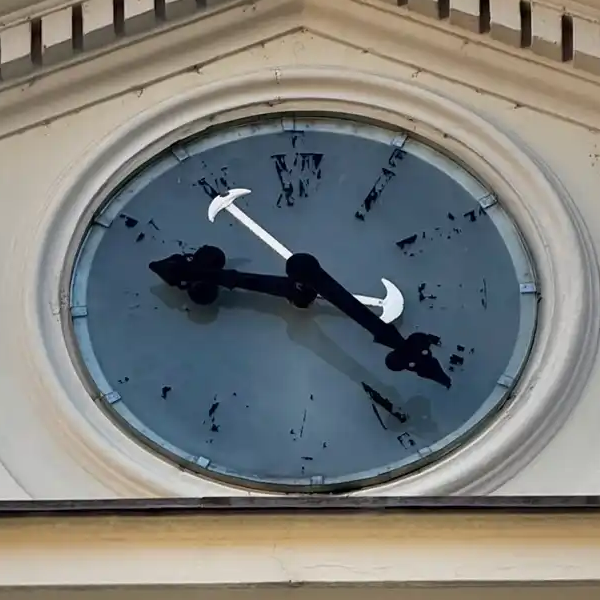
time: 9:21
